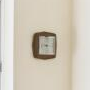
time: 9:01
